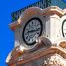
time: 9:16
